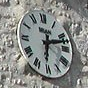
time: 6:12
